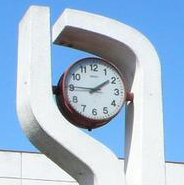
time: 1:45
